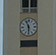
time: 11:30
